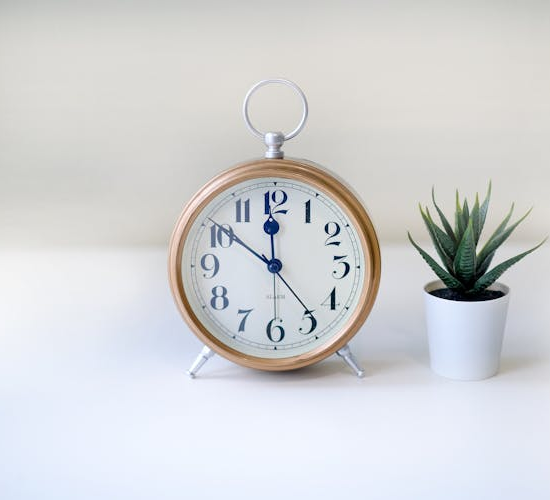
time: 11:50
